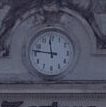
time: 11:46
